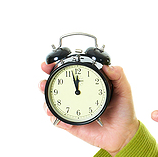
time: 11:57
